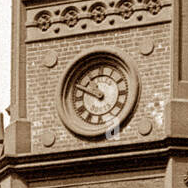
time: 9:49
